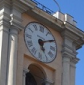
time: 5:09
